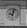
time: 10:02
